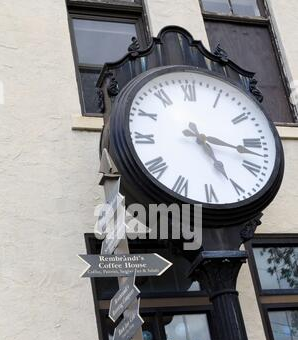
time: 5:17
